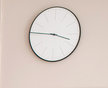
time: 3:45
